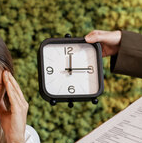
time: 12:14
